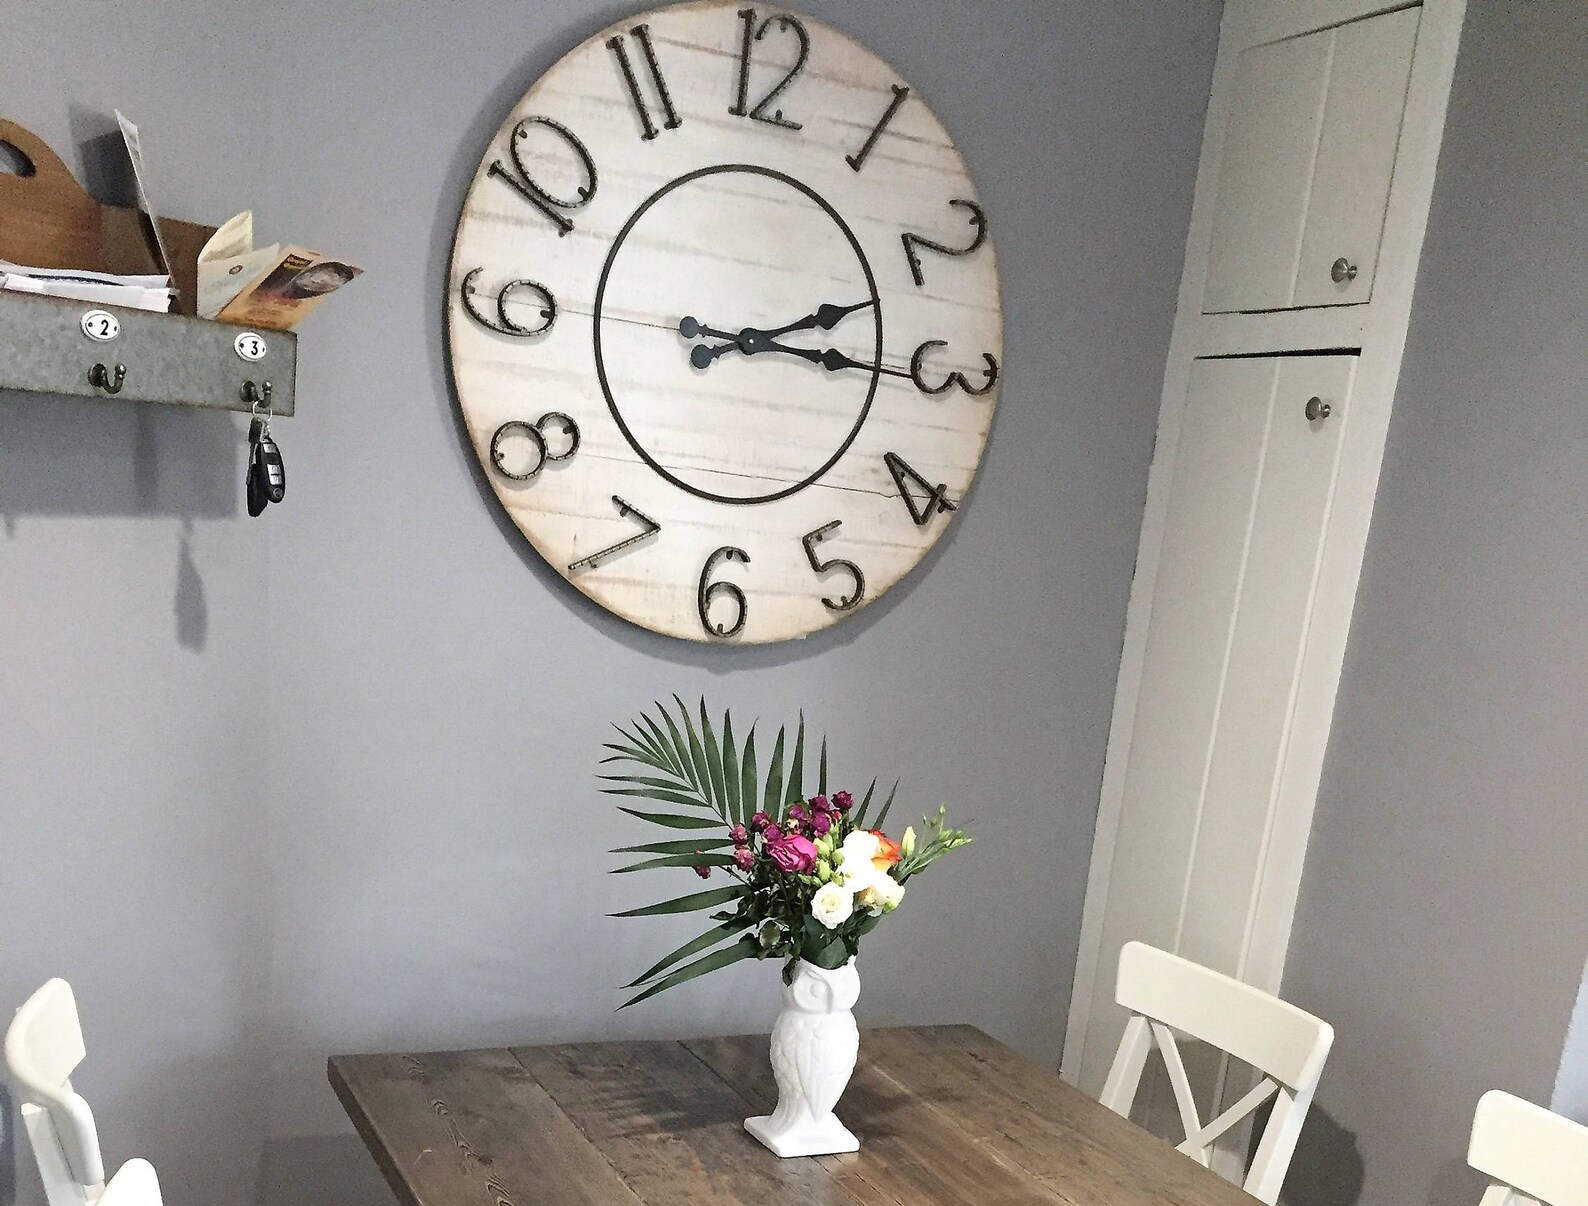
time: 2:15
